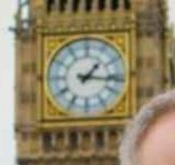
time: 1:16
